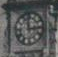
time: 2:58
